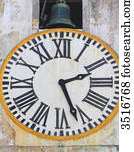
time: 2:26
